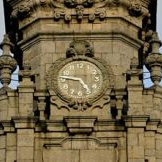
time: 4:46
